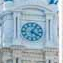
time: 4:04
